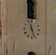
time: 11:26
